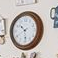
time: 10:28
